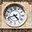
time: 4:42
